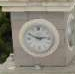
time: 2:48
